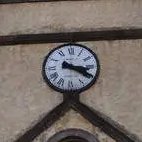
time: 3:19
